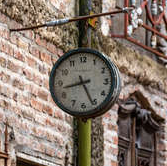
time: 8:25
